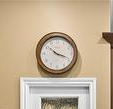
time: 10:18
